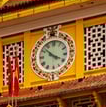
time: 3:52
